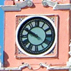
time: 9:50
